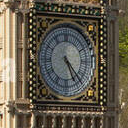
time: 5:23
